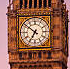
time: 6:51
